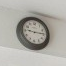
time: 9:14
